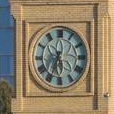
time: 5:34
